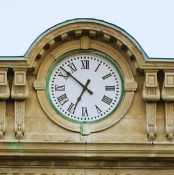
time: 6:51
